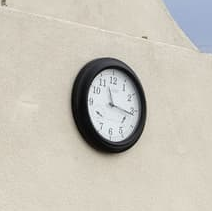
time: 11:16
